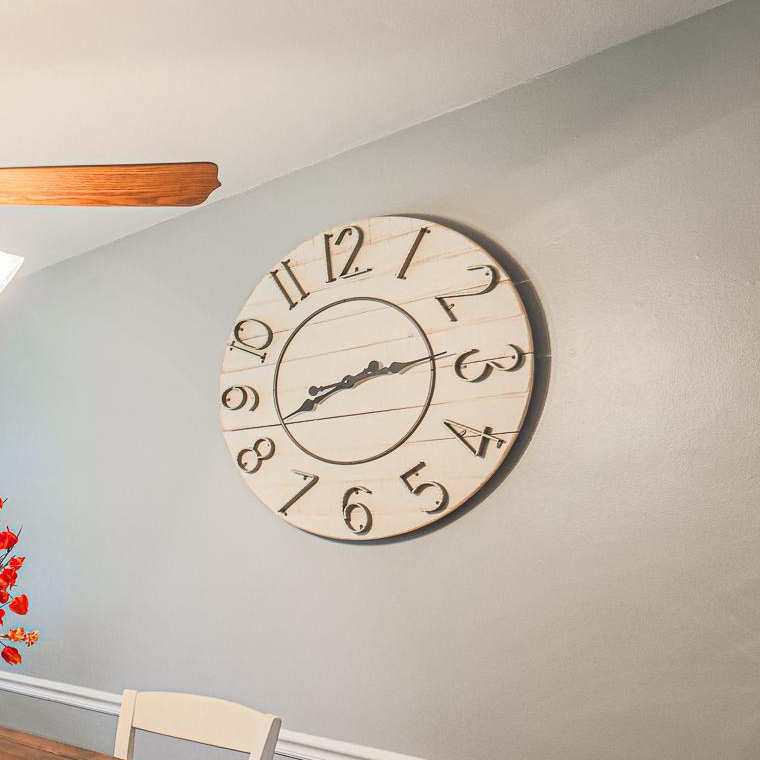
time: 8:14
